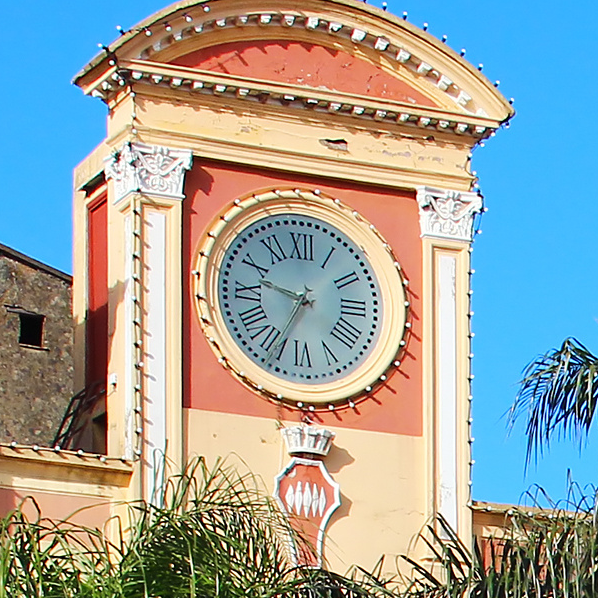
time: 9:34
